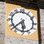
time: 5:37
